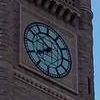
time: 7:51
